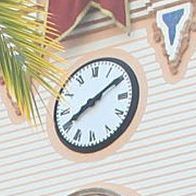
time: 8:09
